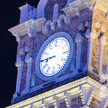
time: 8:45
